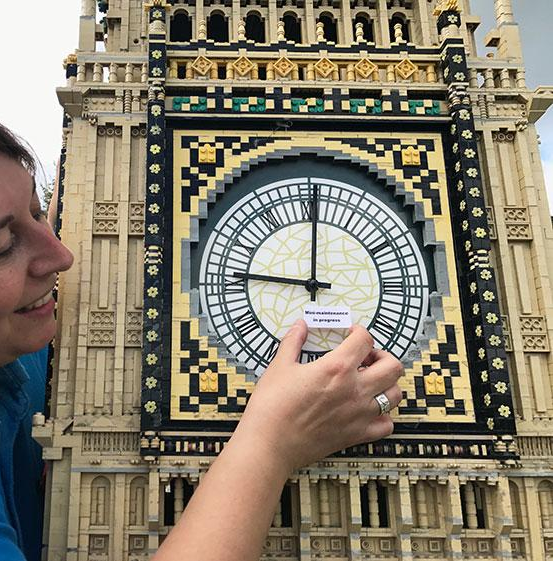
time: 11:46
